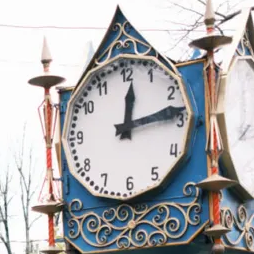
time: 12:13
